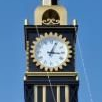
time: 3:04
